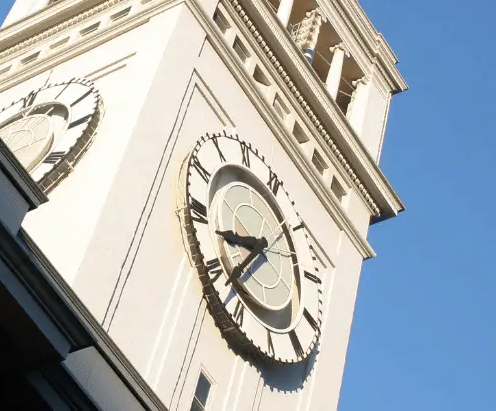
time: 8:38
